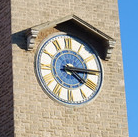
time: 4:14
